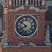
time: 7:51
